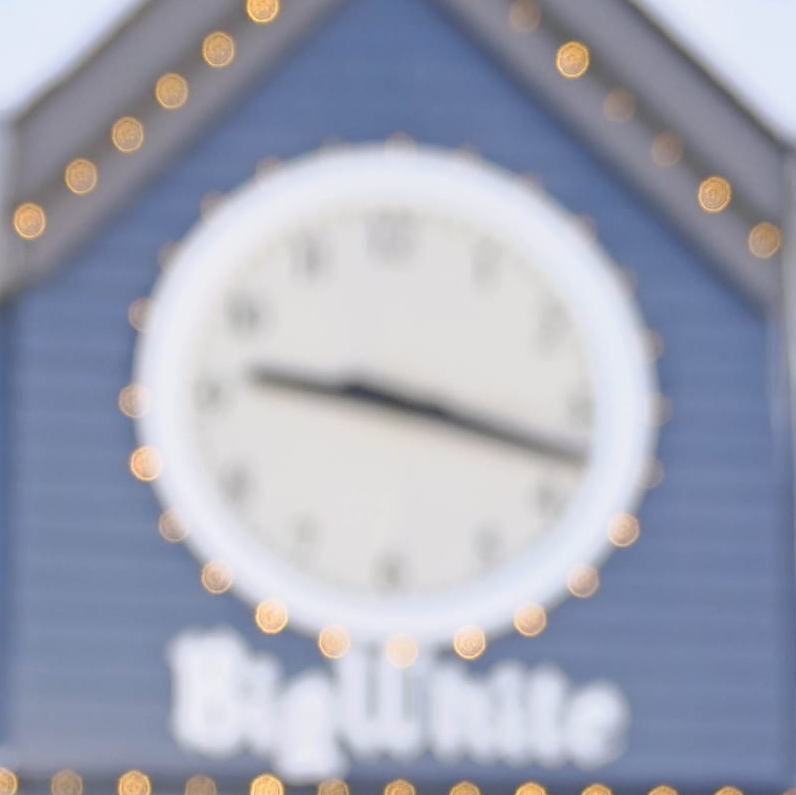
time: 9:17
